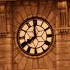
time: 7:58
